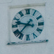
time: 9:36
